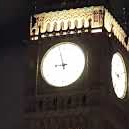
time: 8:57
